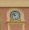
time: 10:47
